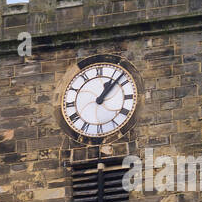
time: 1:07
